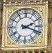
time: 2:18
